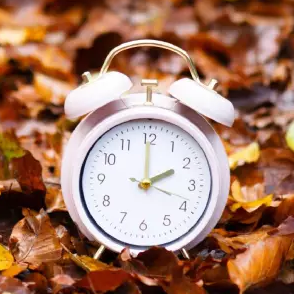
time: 2:00
